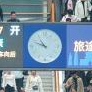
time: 10:48
